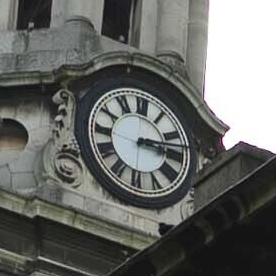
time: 3:12
